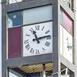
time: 11:13
